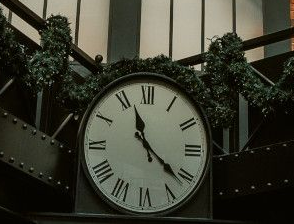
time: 11:21
